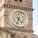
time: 4:32
